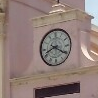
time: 8:20
